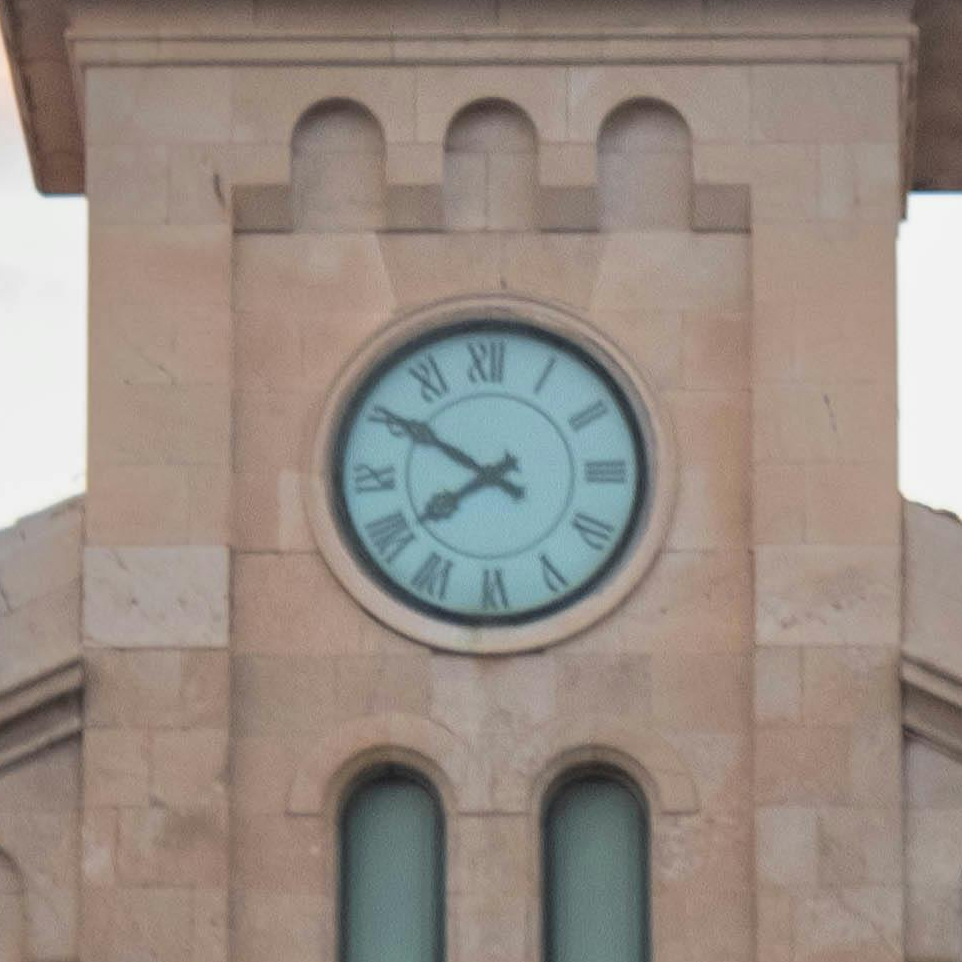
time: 7:50
